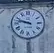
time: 9:47
